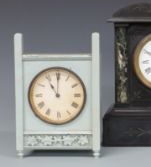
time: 11:00
